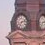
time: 7:12
